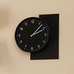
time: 2:07
